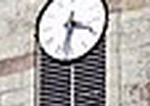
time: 3:32
